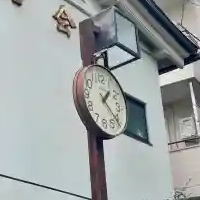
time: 1:21
